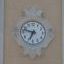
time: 6:47
